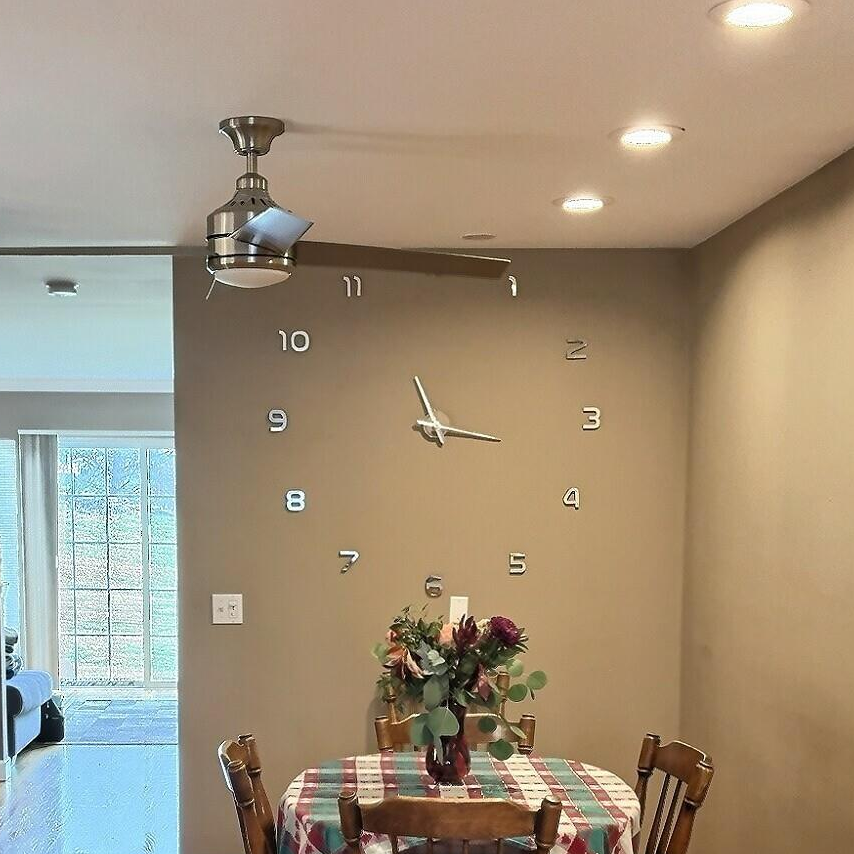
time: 11:16
